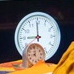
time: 8:59
